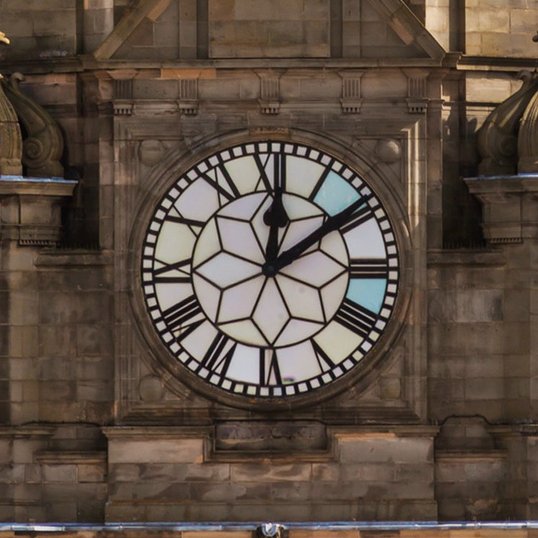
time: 12:09
